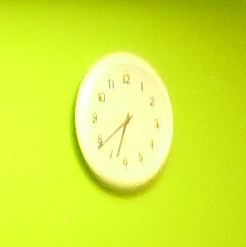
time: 6:39
